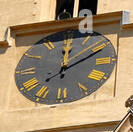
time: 12:10
